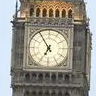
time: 6:54
